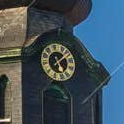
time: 5:09
